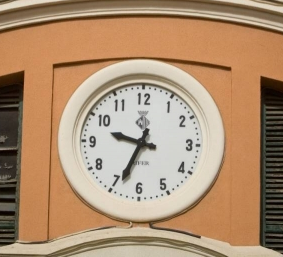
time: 9:33
